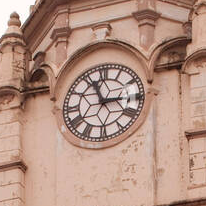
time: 2:56
